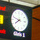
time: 7:48
